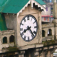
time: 8:23
